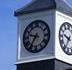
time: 9:35
